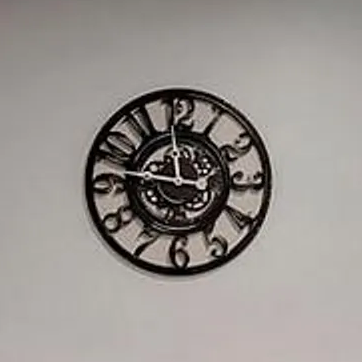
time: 11:46
